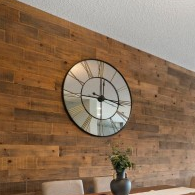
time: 12:16
